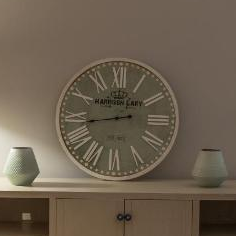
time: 8:43
